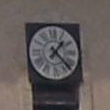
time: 1:22
